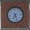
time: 7:27
